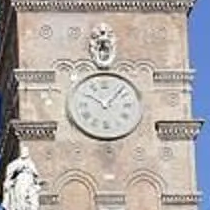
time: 10:07
